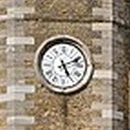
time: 5:11
